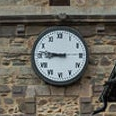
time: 8:46
